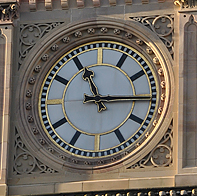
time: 11:14
